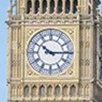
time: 10:14
